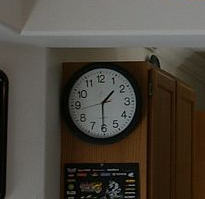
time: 1:30
